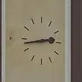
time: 2:43
